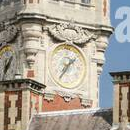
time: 1:36
